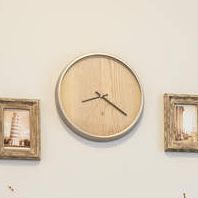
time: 8:21
